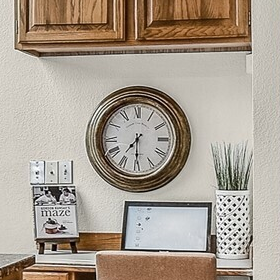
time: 7:30
